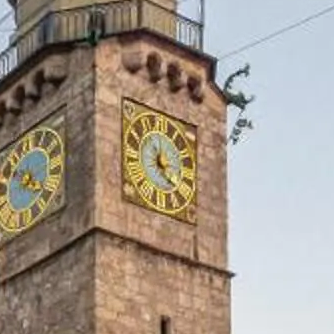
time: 11:22
